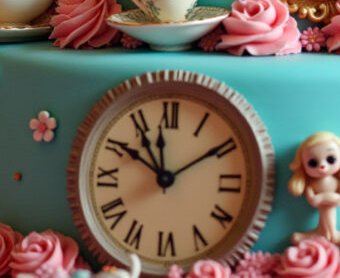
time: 10:50
